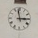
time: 2:58
